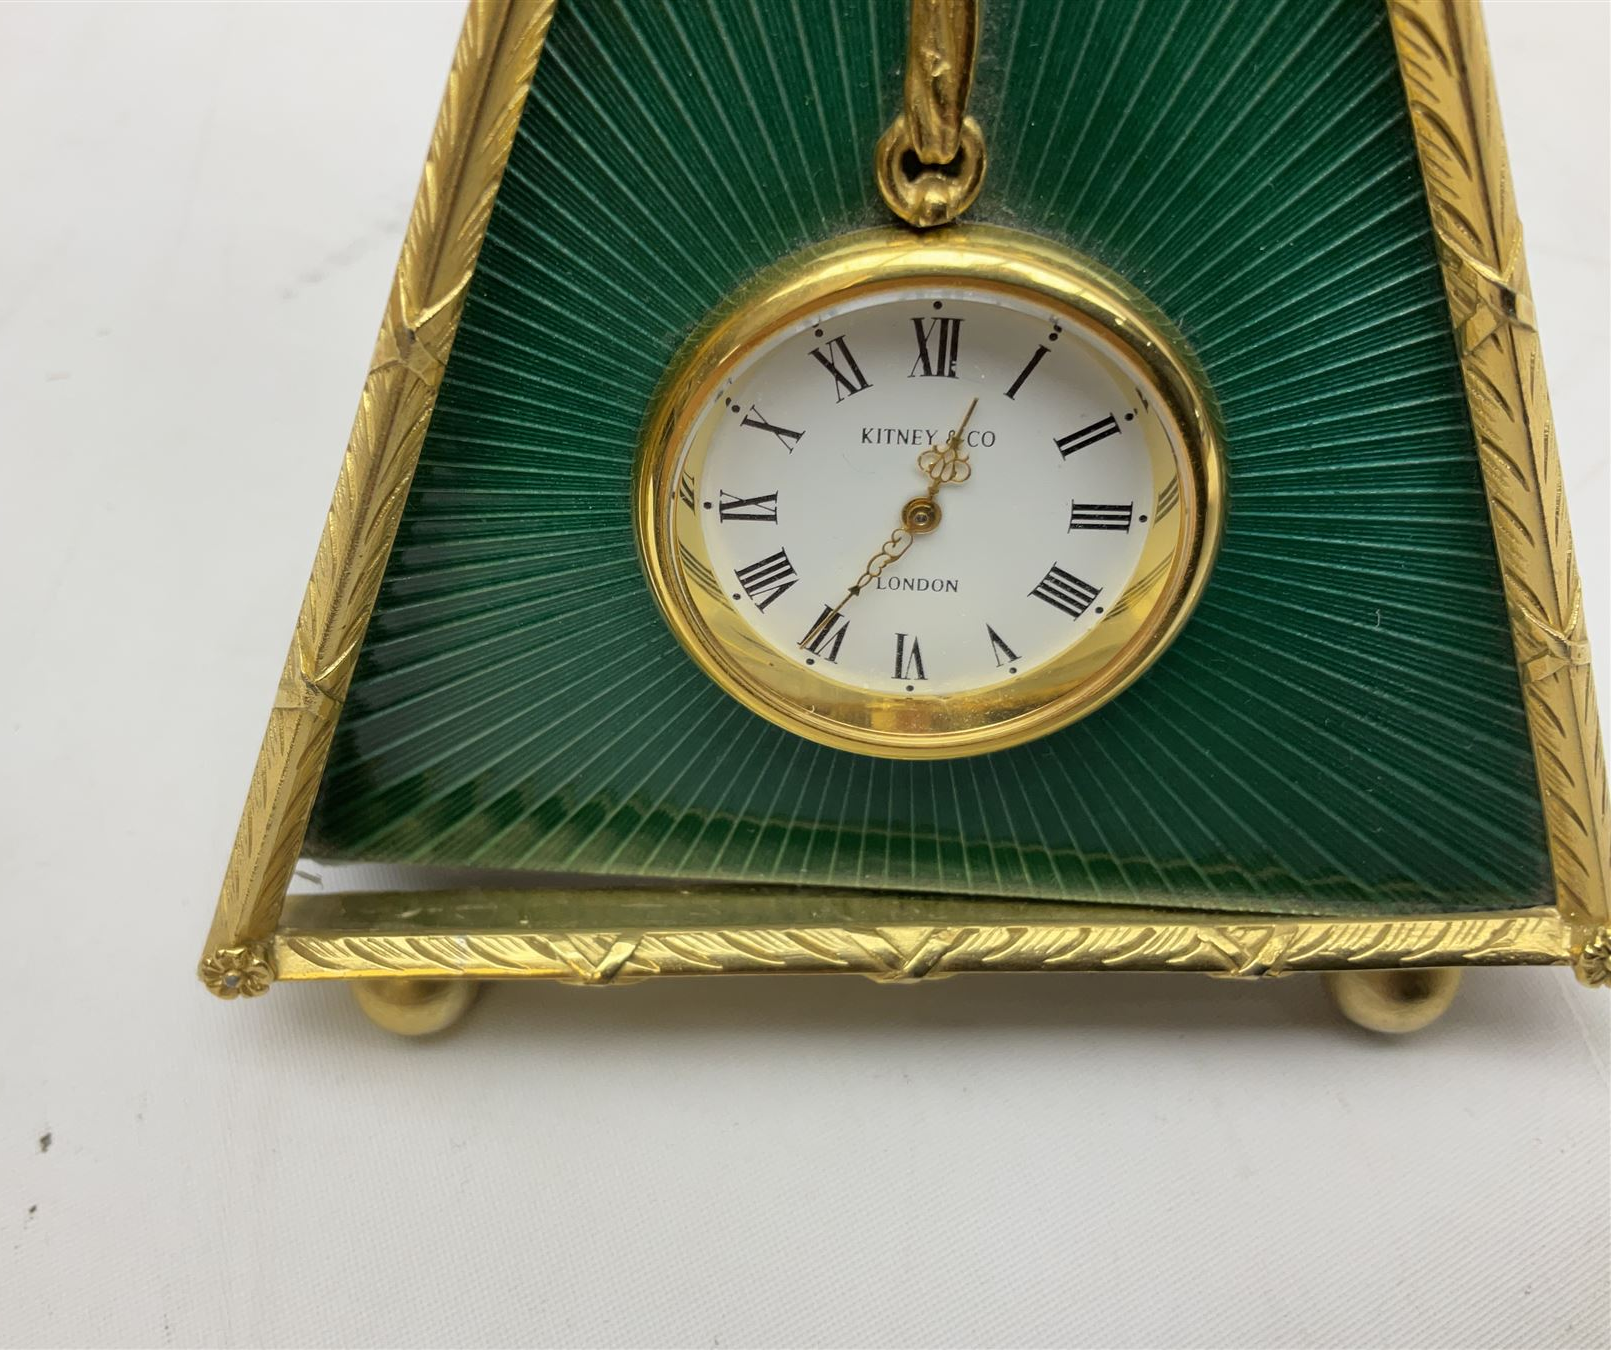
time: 12:34
